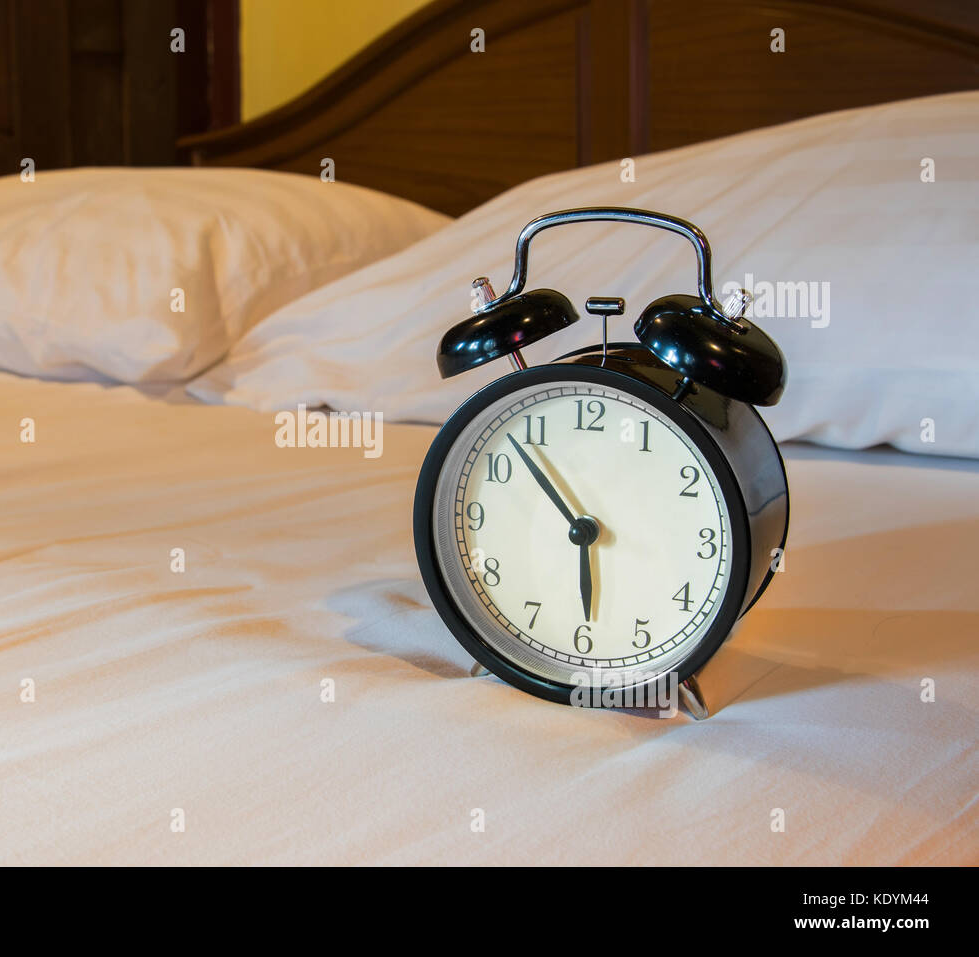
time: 5:53
